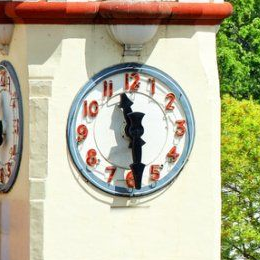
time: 11:29
